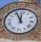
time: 11:55
